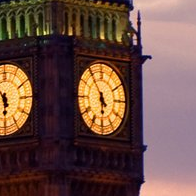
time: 5:54
